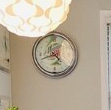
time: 4:42
